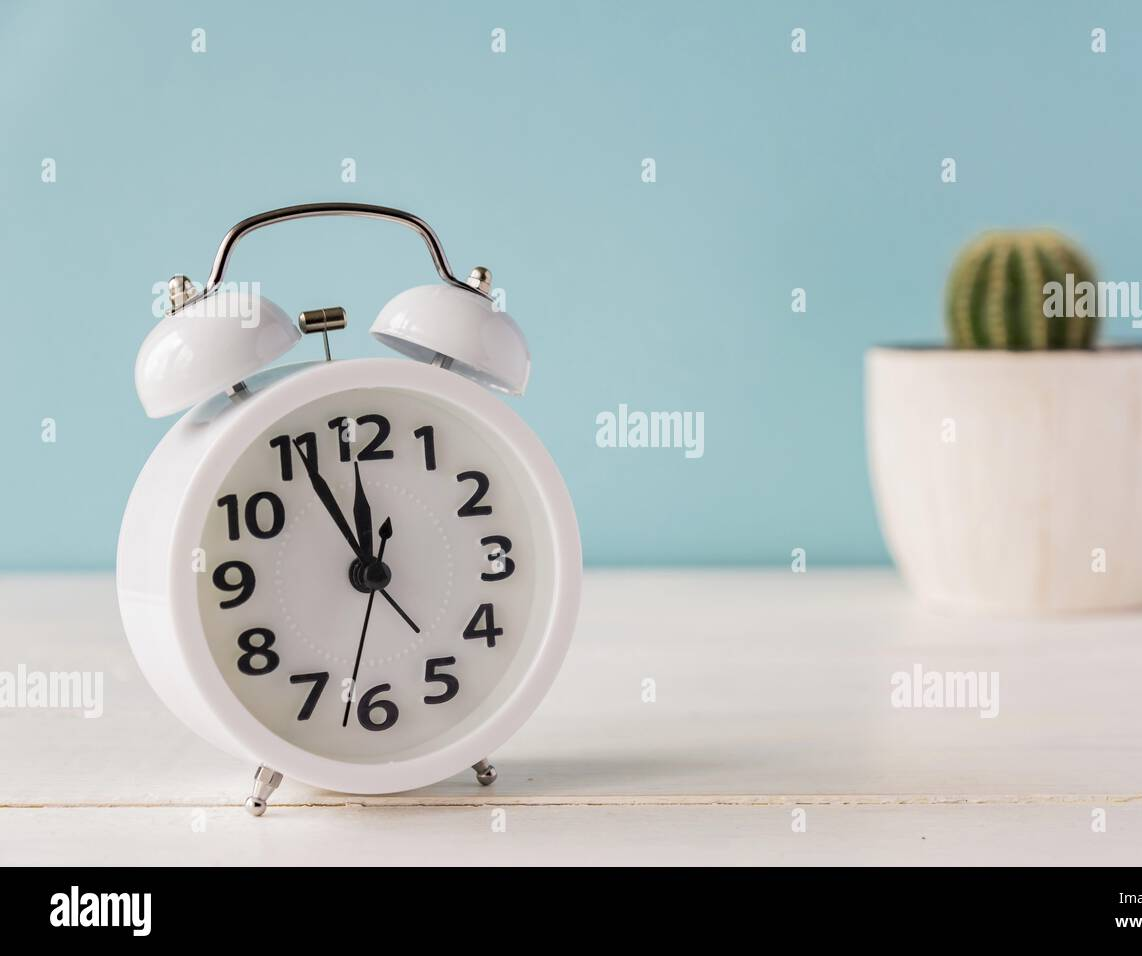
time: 11:55
